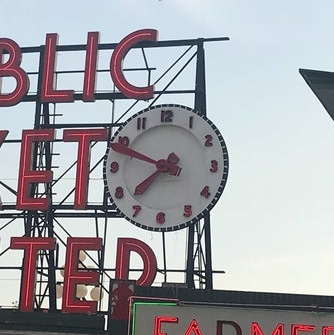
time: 7:48
